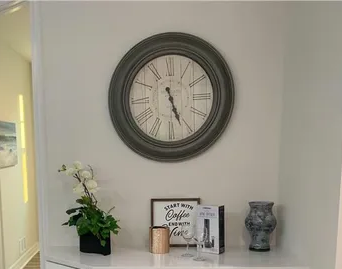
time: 5:26
